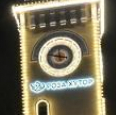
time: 11:46
